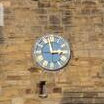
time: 2:58
